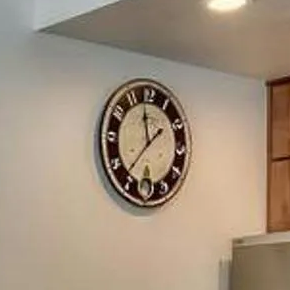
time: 11:36
